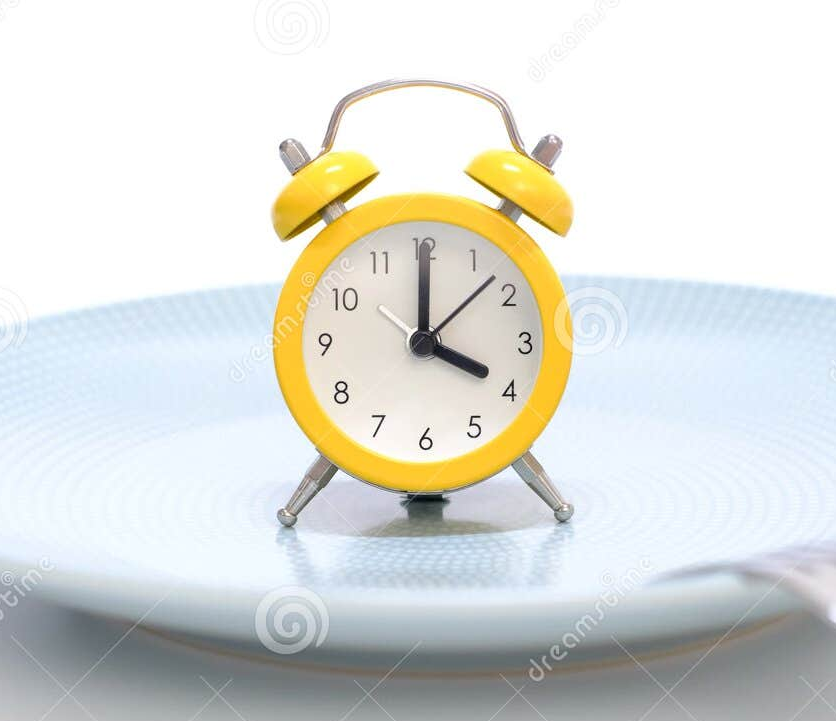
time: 4:00
